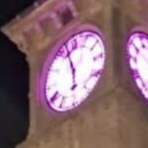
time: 5:57
